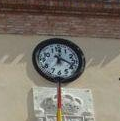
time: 12:18
